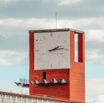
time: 2:13
